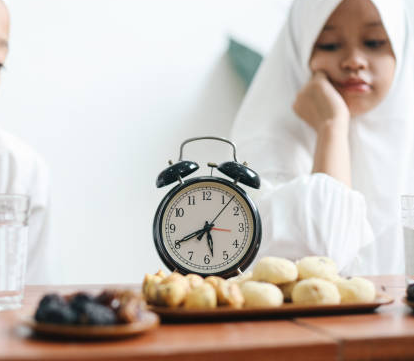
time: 5:40
